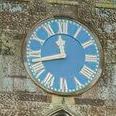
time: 11:42
